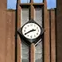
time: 2:40
